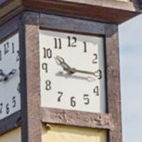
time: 10:14
